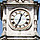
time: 12:34
